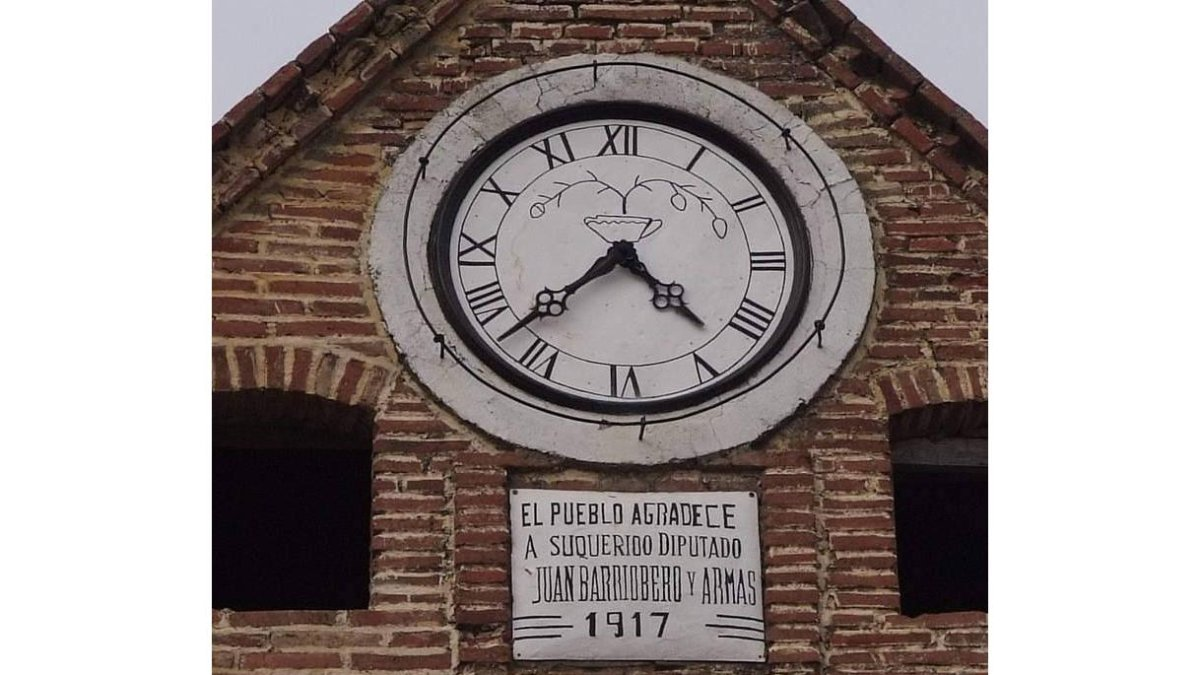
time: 4:37
